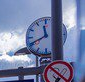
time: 11:41
